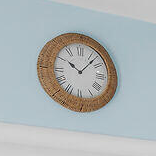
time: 10:07
